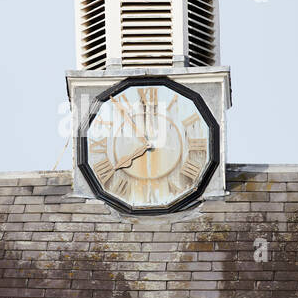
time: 7:59
